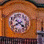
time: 4:40
